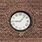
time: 9:07
